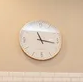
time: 11:16
